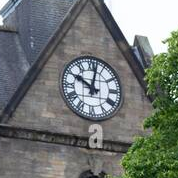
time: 10:02
